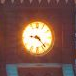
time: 9:22
